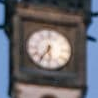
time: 5:35
